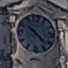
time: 10:22
